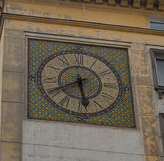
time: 5:40
